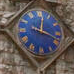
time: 12:18
